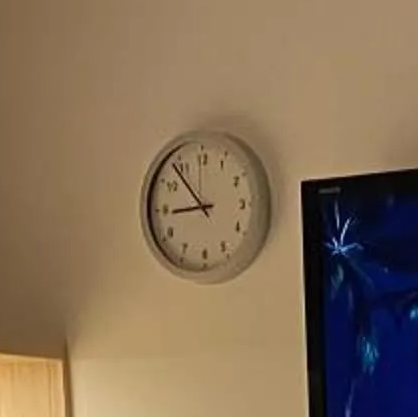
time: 8:53
